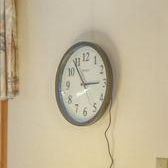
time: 2:53
